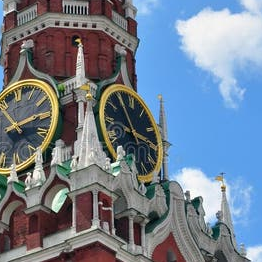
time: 2:54
